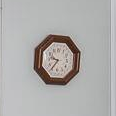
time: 9:36
